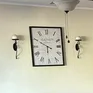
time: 5:49
